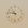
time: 10:45
